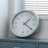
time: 1:20
